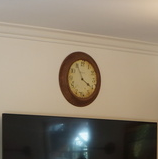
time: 3:55
